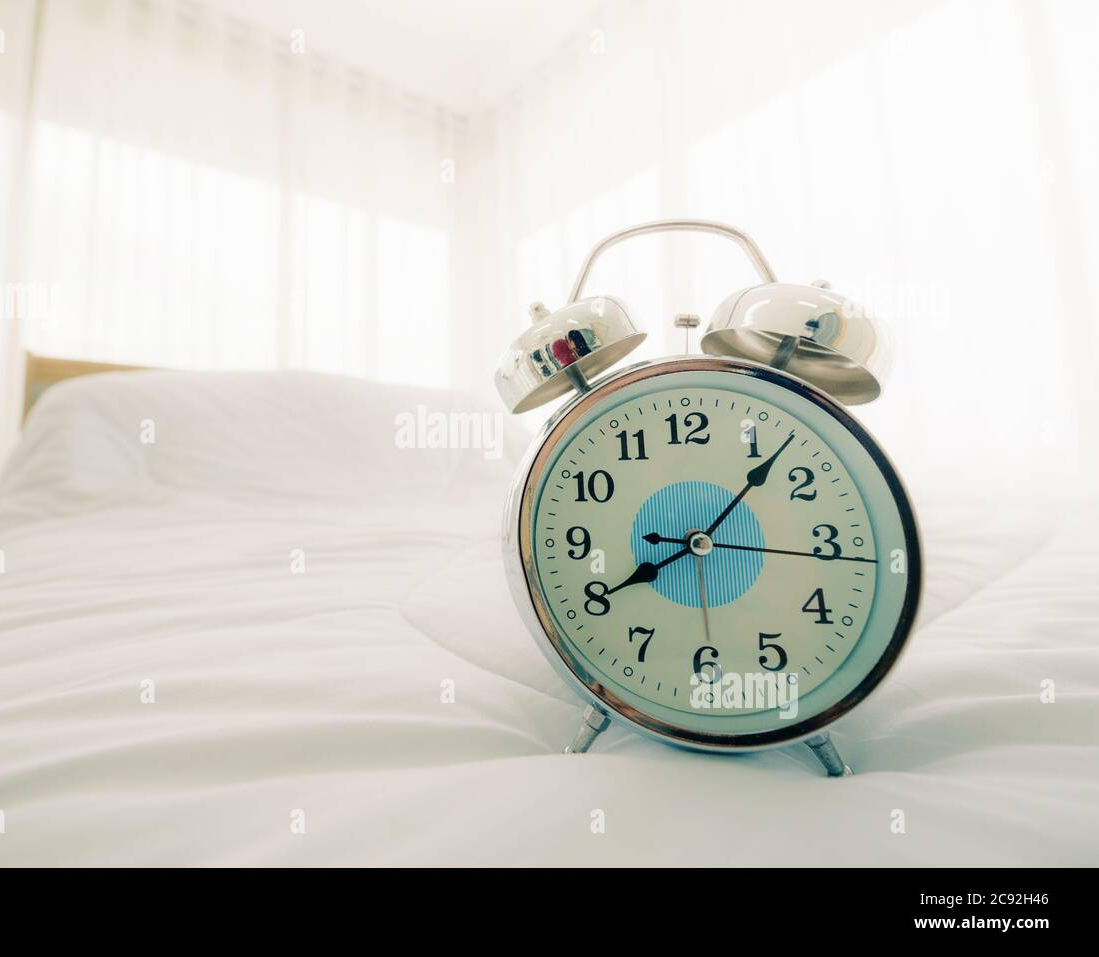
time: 8:07
